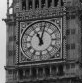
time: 11:02
